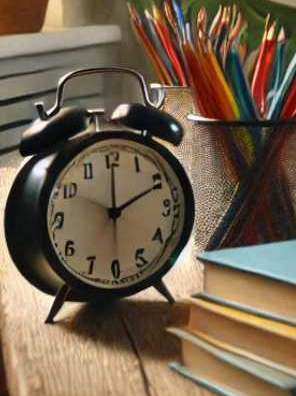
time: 2:00
